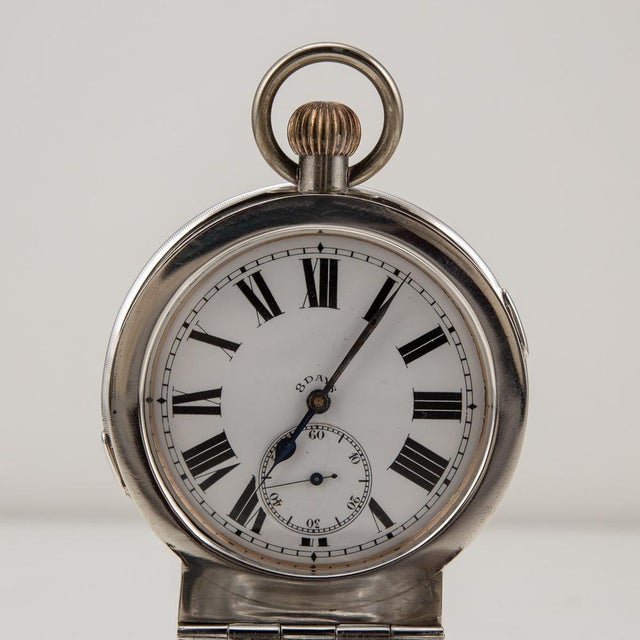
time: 7:05
